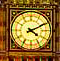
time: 4:10
